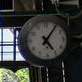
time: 5:06
